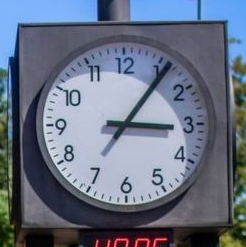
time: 3:06
